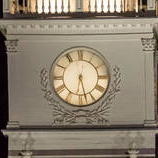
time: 6:27
